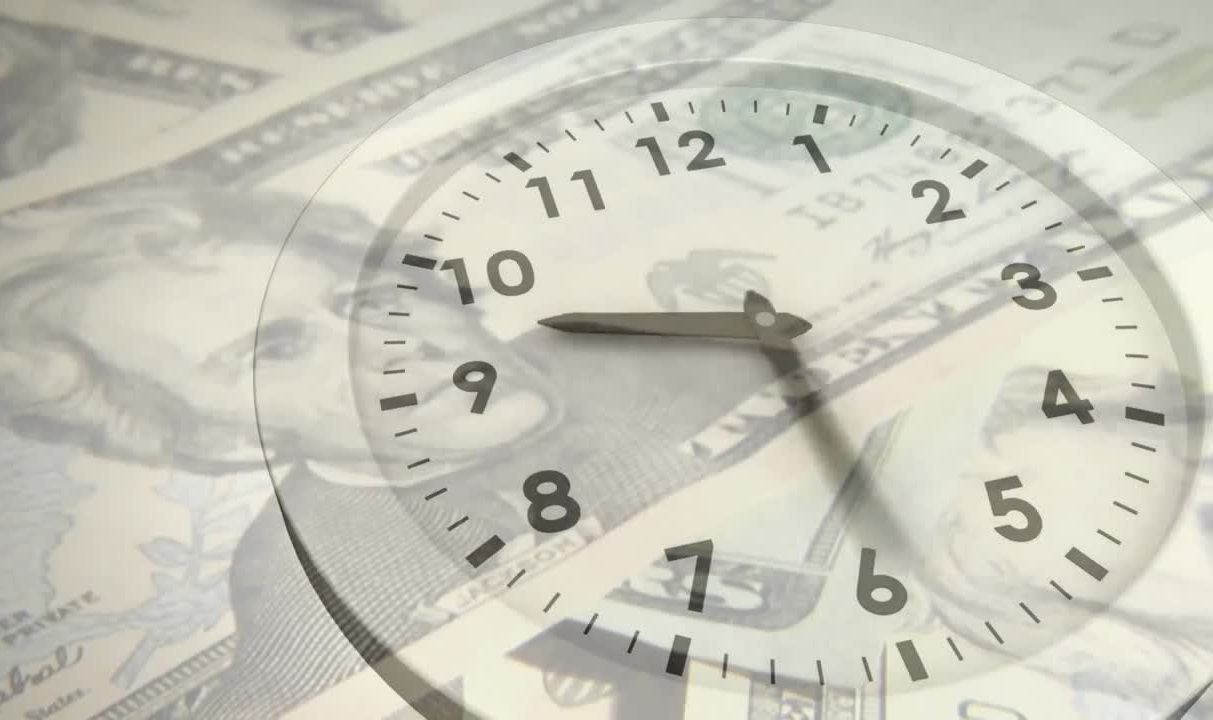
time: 9:30
